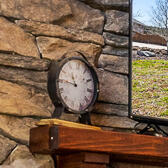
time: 10:45
